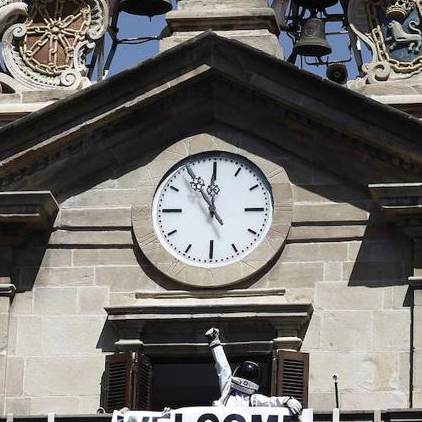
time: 11:54
